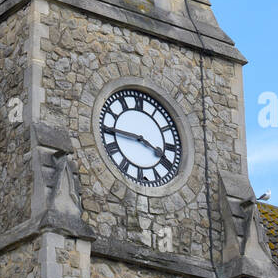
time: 3:44
